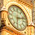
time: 6:12
